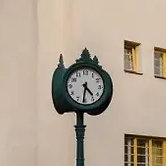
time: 4:31
